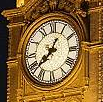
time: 12:37
